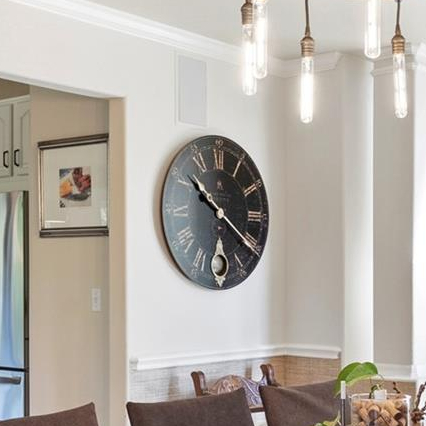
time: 10:20
